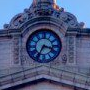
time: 3:34
